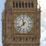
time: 11:37
